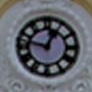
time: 12:47
